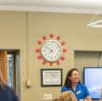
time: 7:50
